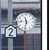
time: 11:32
